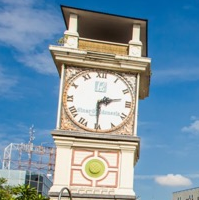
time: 2:30
